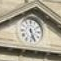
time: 5:26
